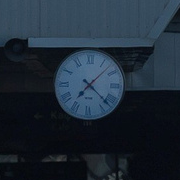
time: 7:22
